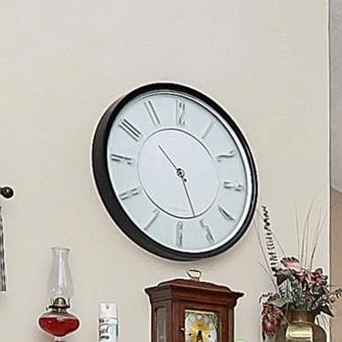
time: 10:26
